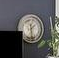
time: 1:28
